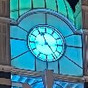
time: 11:23
